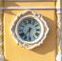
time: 7:30
